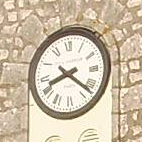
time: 8:21
